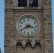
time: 3:40
